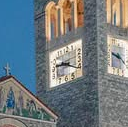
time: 9:20
